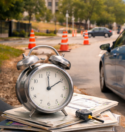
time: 2:00
